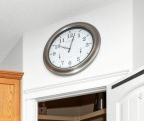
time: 10:02
